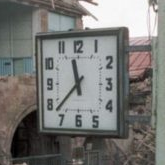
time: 11:37
